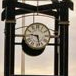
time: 9:27
